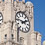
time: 1:46
